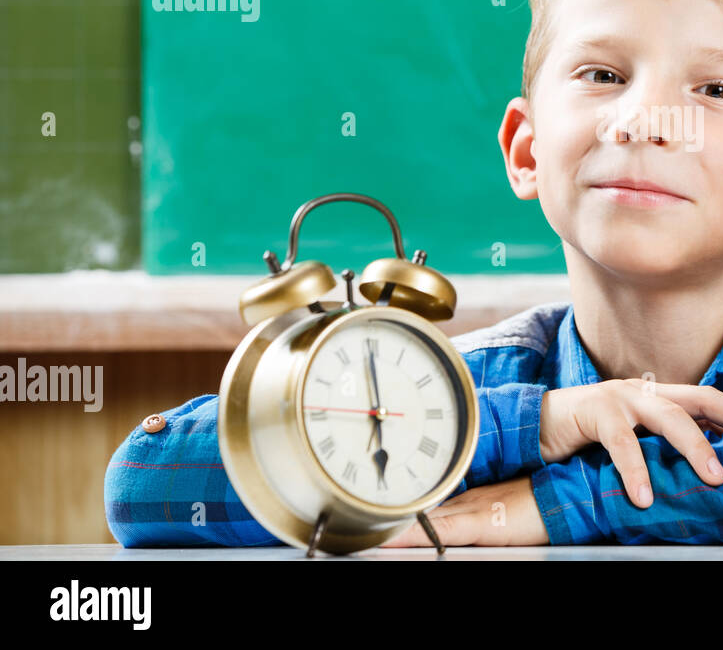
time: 5:59
